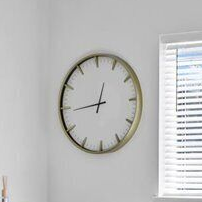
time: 12:44
